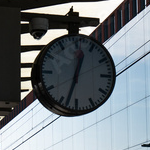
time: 12:32
